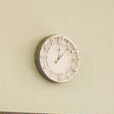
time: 12:07
